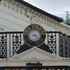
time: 3:22
